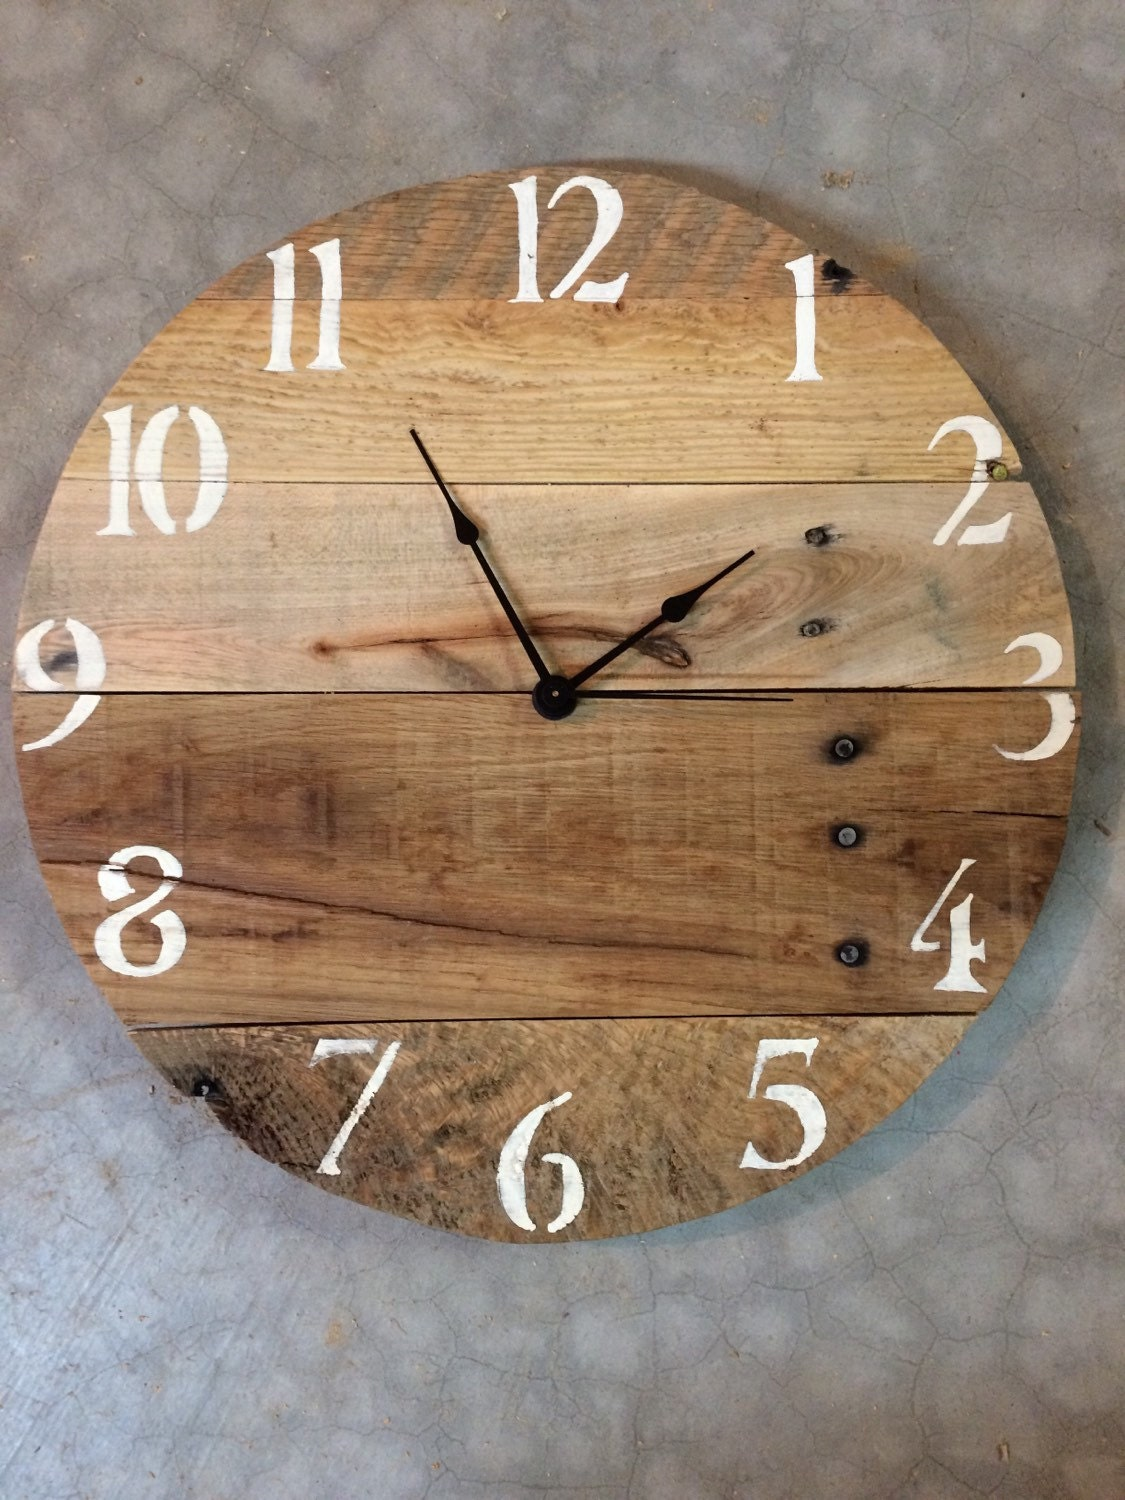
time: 1:55
